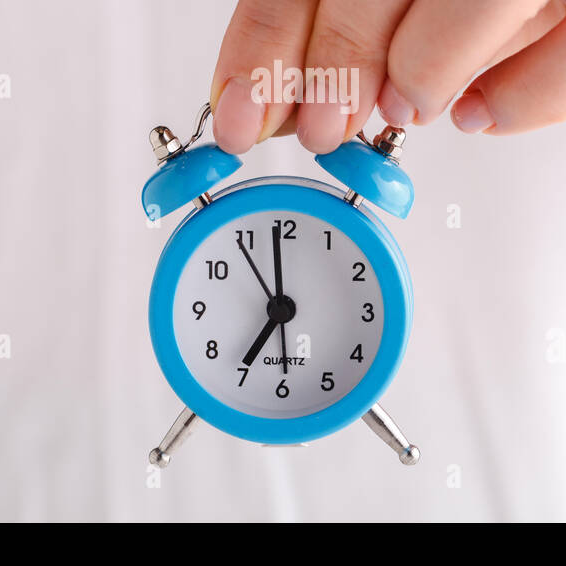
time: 6:59
